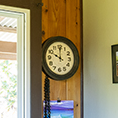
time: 10:00
